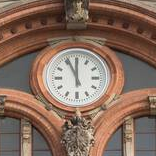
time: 11:55
